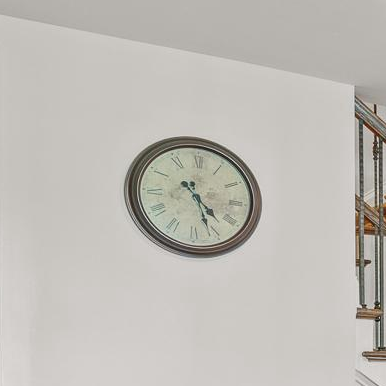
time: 4:26
